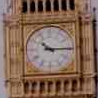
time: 10:14
